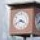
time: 3:40
